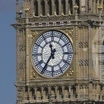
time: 11:35
